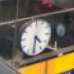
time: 4:31
